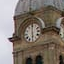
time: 6:00
